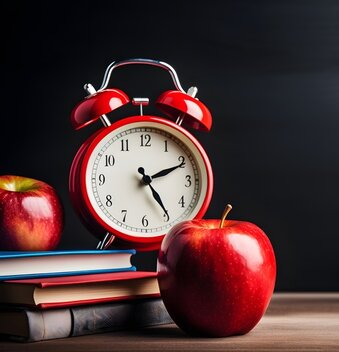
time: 2:24
